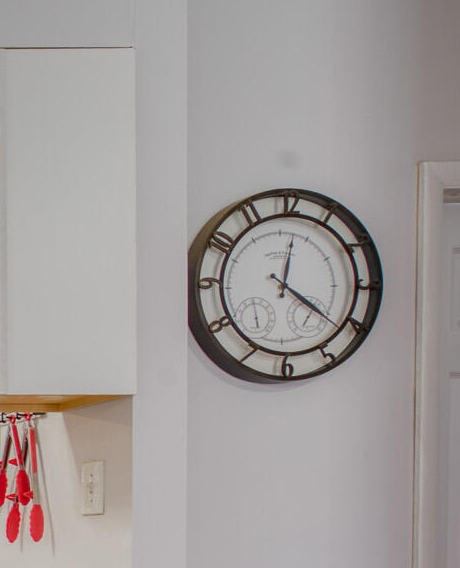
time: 12:21
